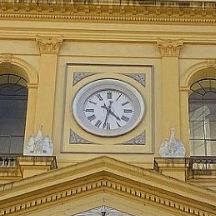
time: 4:31
